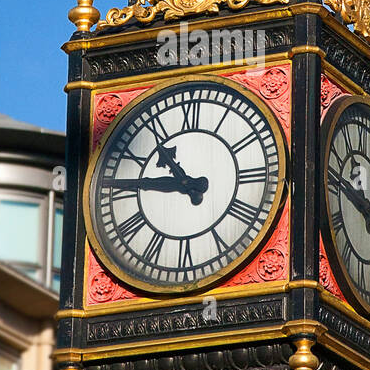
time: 10:46
